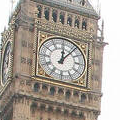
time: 12:06
